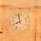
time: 7:58
